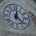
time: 12:22
